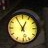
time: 12:55
